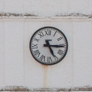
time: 5:15
